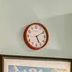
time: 5:10
